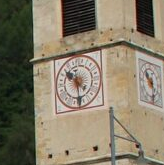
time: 10:28
